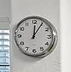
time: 12:05
